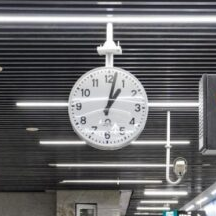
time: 1:02
